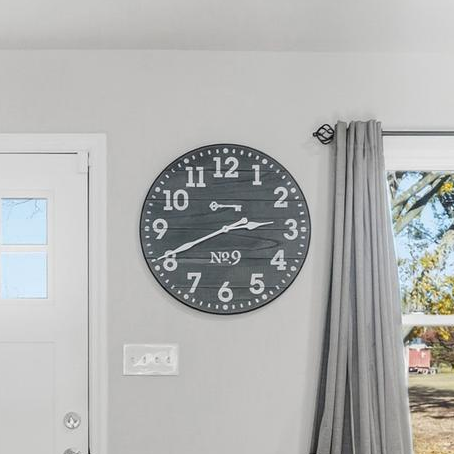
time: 2:40
